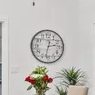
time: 2:32
